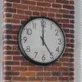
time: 5:00
